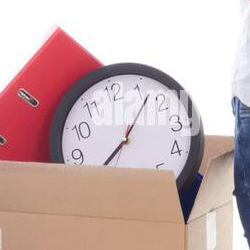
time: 8:07
